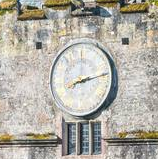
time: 8:12
